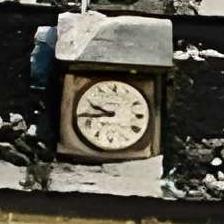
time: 9:43
